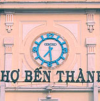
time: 7:28
